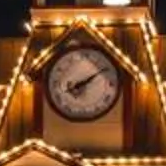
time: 8:09
